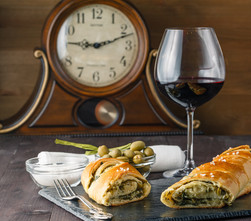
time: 9:11
